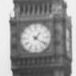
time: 1:21
